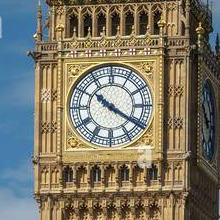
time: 10:20
